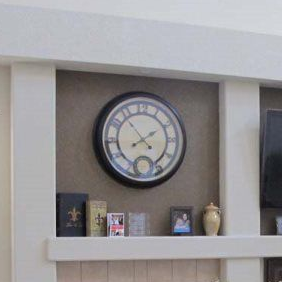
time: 1:53
